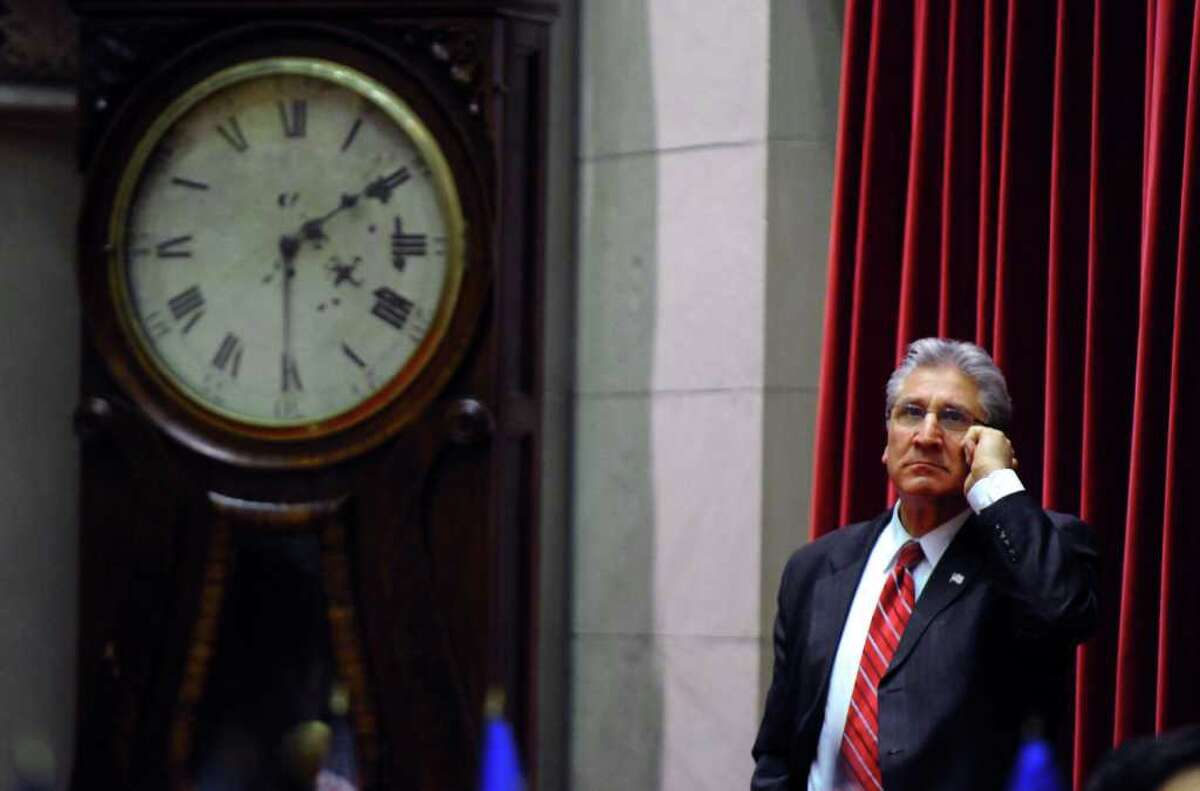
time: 4:09
